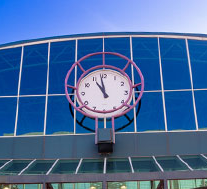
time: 10:58
